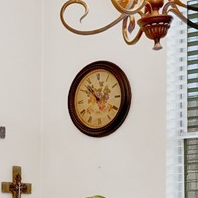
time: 12:52
